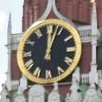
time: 12:03
